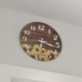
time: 6:18
